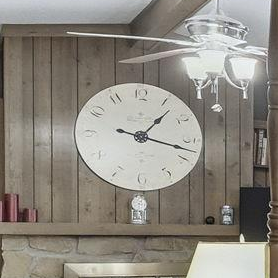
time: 1:17
